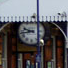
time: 9:43
